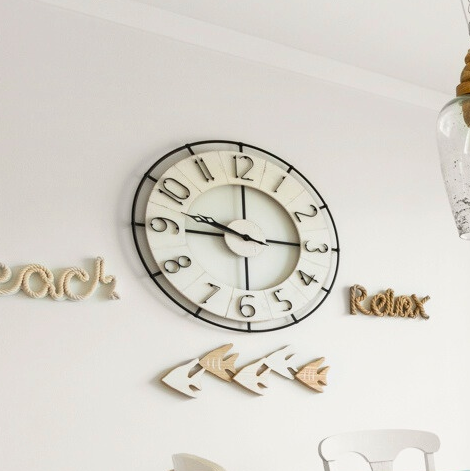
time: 9:15
